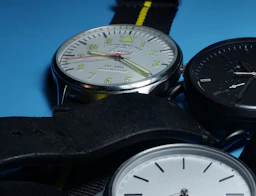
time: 9:20
